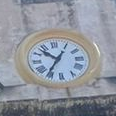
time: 10:35
